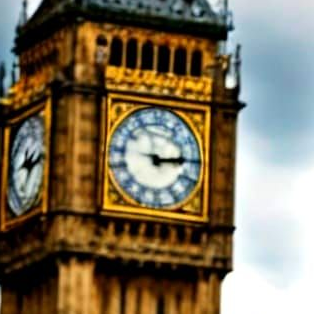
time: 3:14
